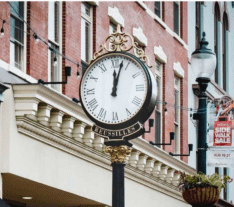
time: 12:02
